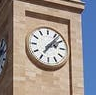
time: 2:06
